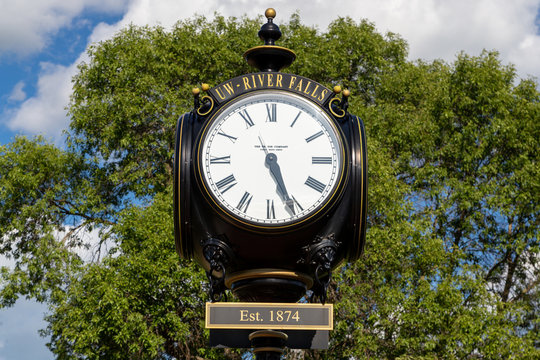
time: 5:26
